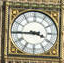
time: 3:44
